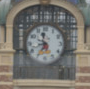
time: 11:35
